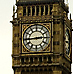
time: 2:44
